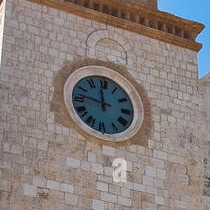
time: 11:46
